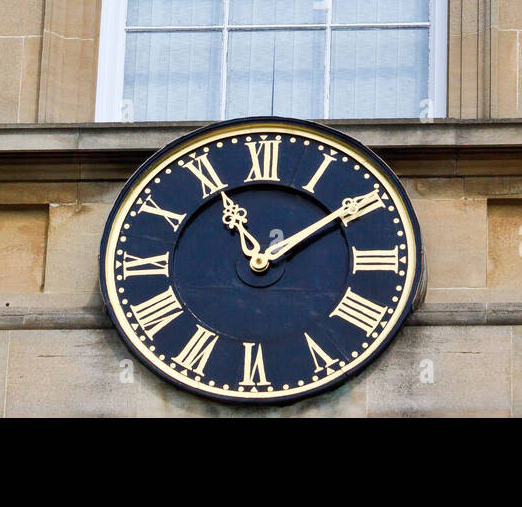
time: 11:09
